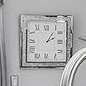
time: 2:06
